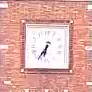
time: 6:35
